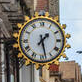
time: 1:28
